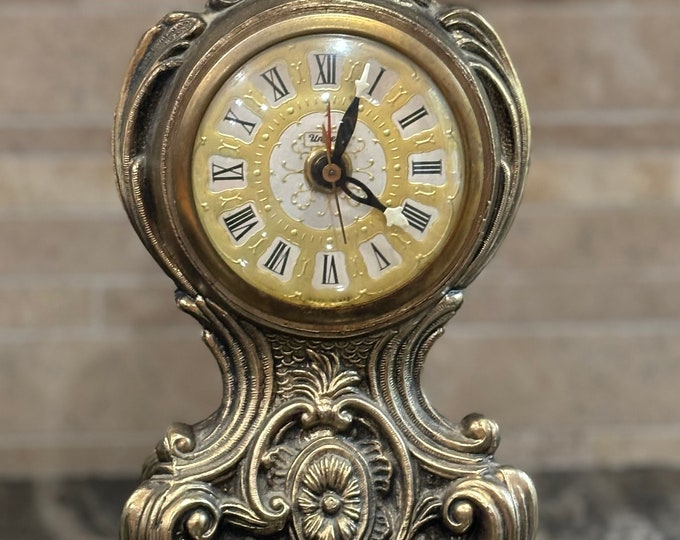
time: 4:03
